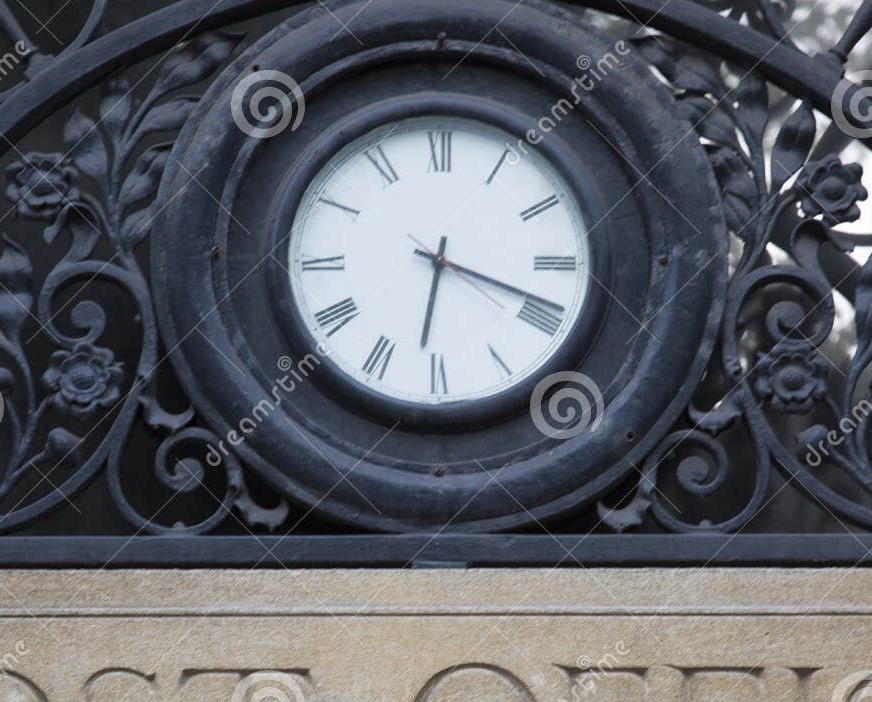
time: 6:18
